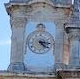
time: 4:14
